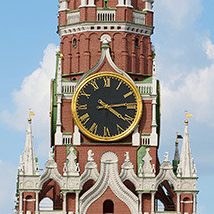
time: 4:13
